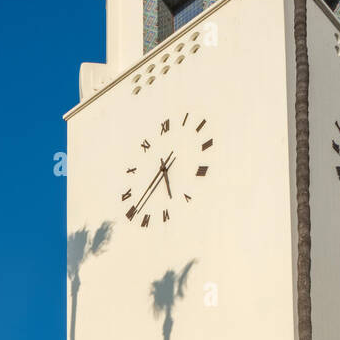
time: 5:38
